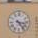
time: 3:23
